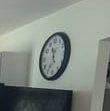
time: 11:35
